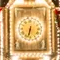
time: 6:32
